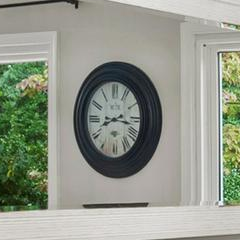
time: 8:16
